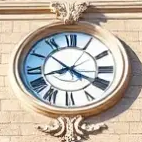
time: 8:20
